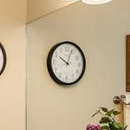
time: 10:03
